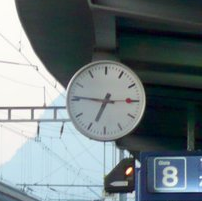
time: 6:45
